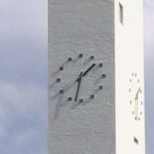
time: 1:32
